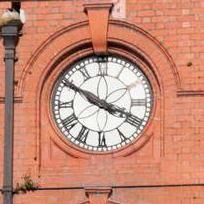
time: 3:50
